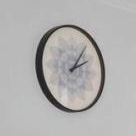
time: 2:06
